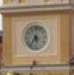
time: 5:36
